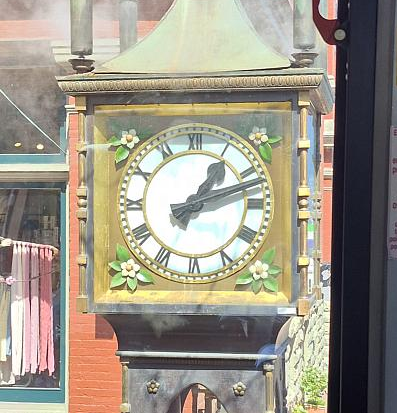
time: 1:11
